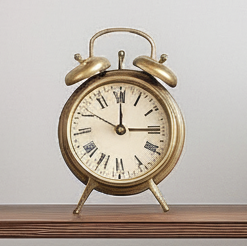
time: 3:00
